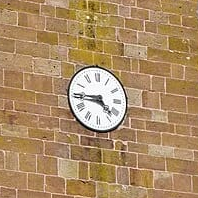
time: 4:45
